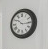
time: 10:15
